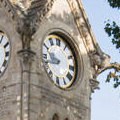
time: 9:42
